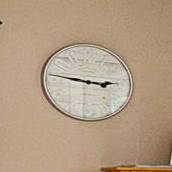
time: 2:46
